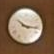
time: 10:16
